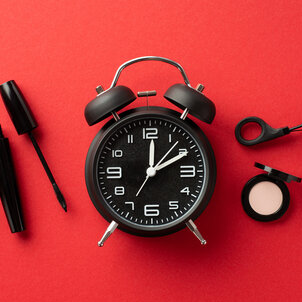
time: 12:10
